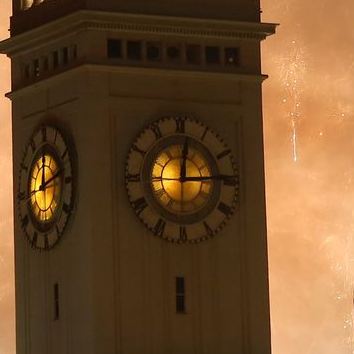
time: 12:14
